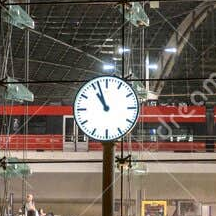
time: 10:56
